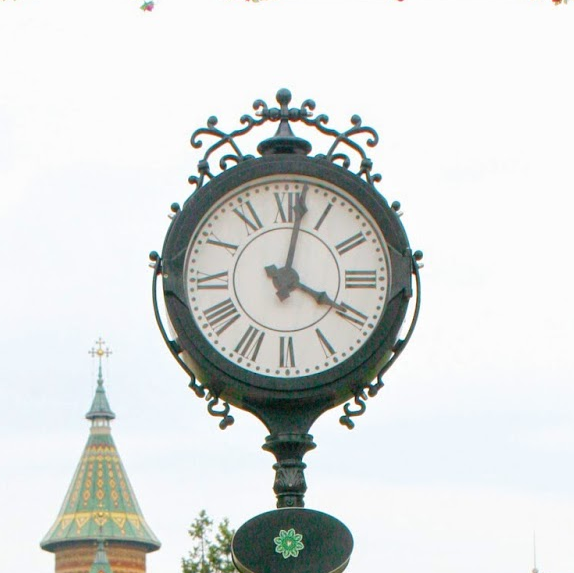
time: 4:02
